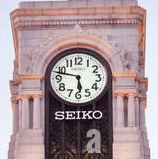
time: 5:47
